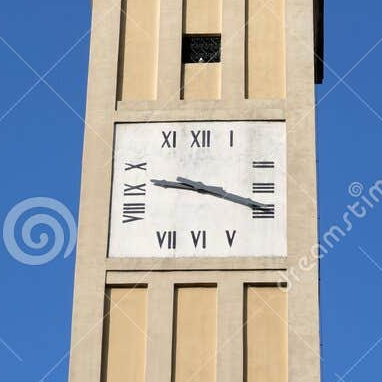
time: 9:18
